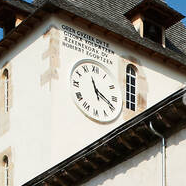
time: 11:18
